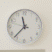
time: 11:37
